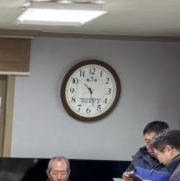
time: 10:27
